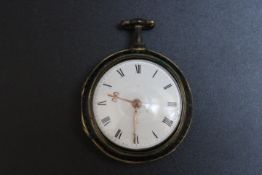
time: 9:30
